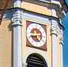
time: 4:42
